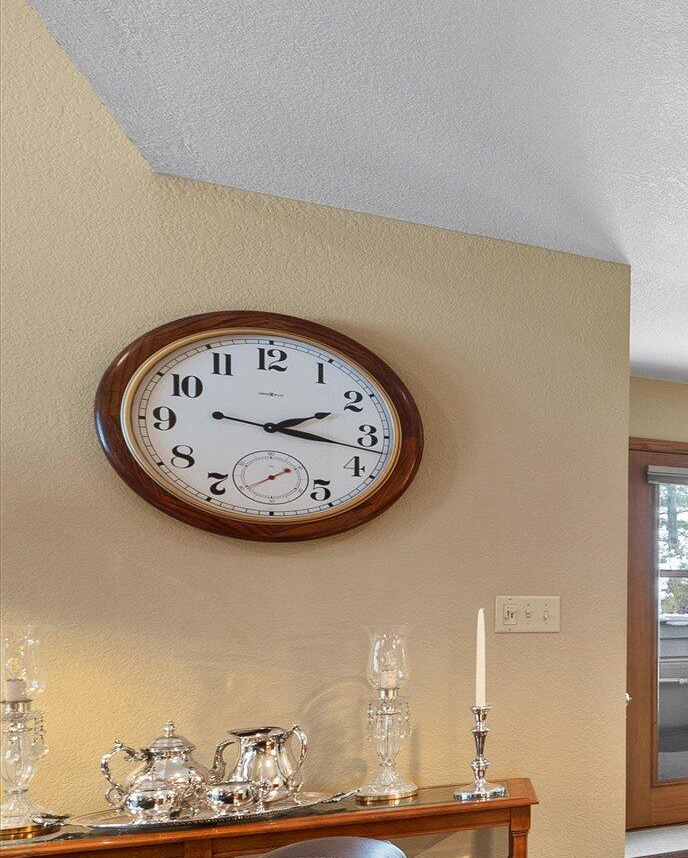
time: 2:16
